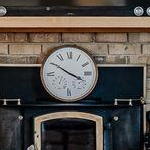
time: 3:50
